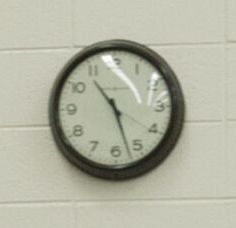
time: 10:27
